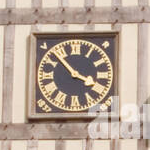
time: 3:52
